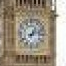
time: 1:12
